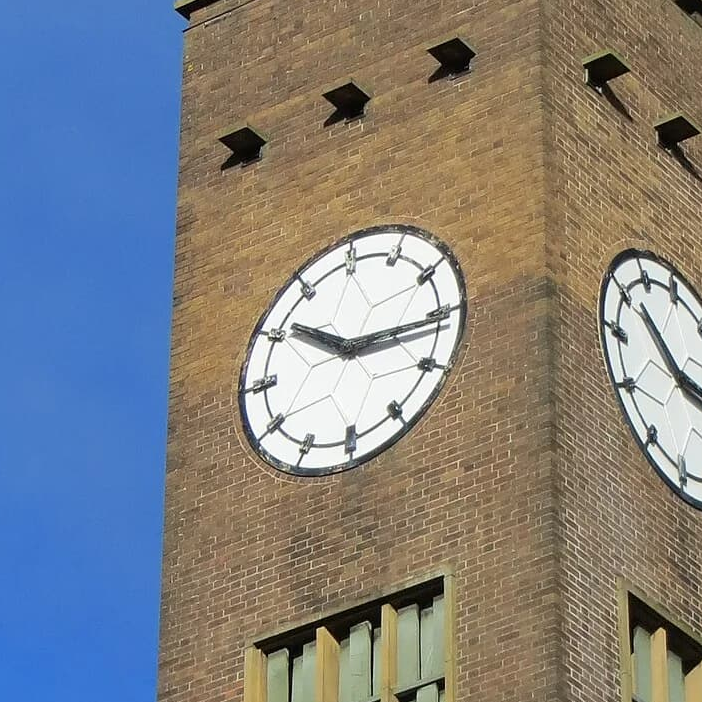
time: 10:15
